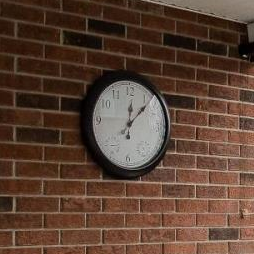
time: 12:07
